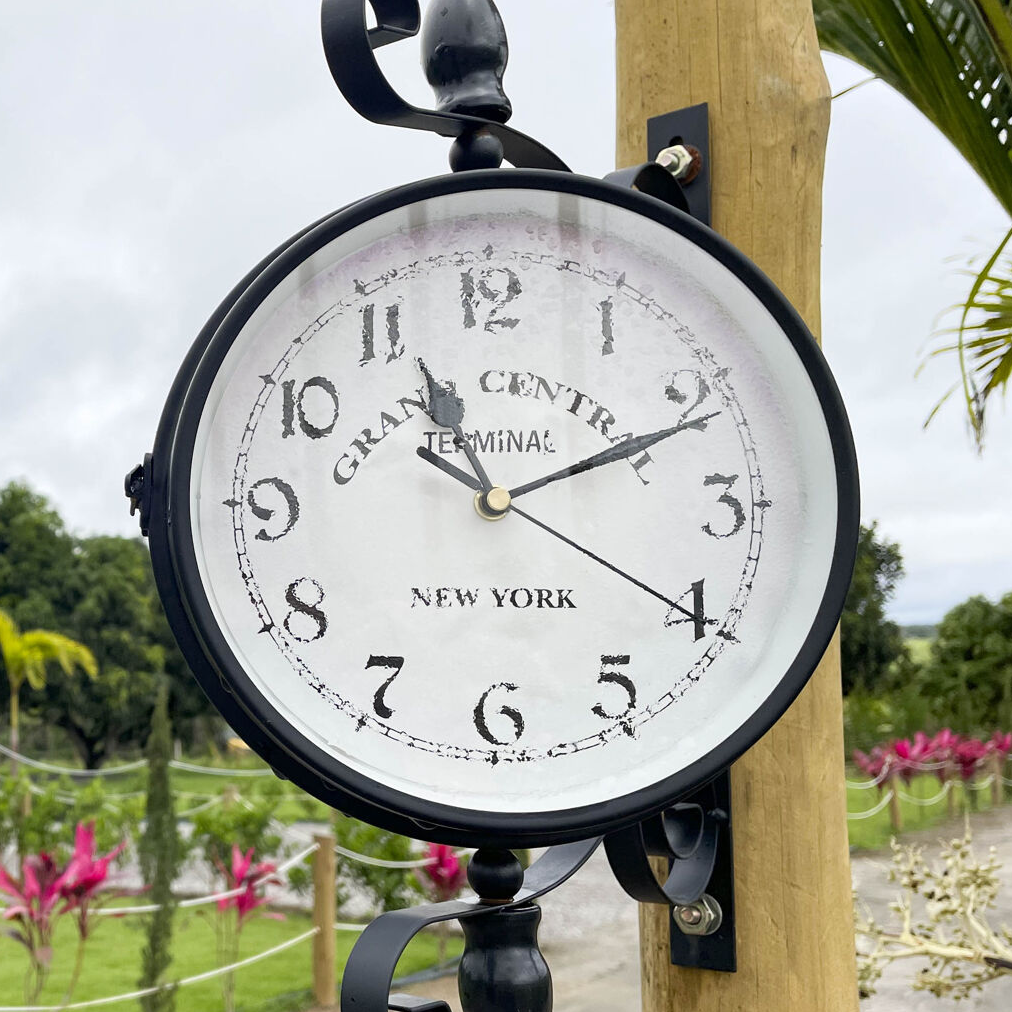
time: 11:11
